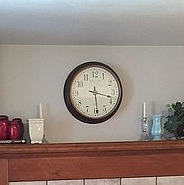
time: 3:29
